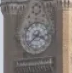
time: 3:38
